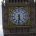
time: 5:31
